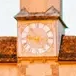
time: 9:15
